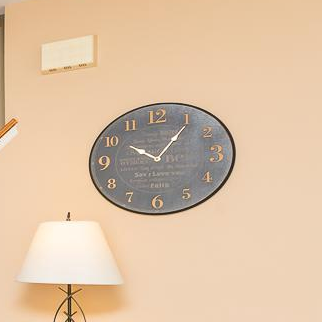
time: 10:06
